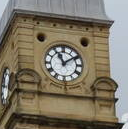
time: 11:09
